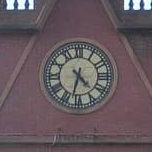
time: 4:32
